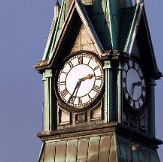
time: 2:35
